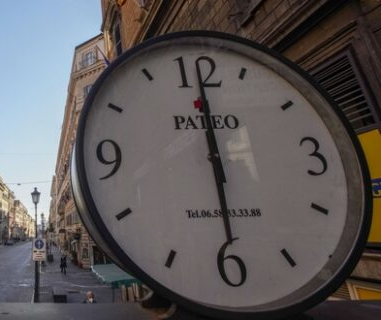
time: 6:00
